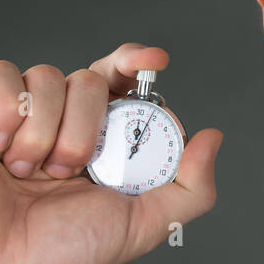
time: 12:04
